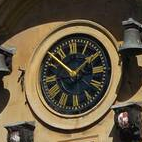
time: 1:52
